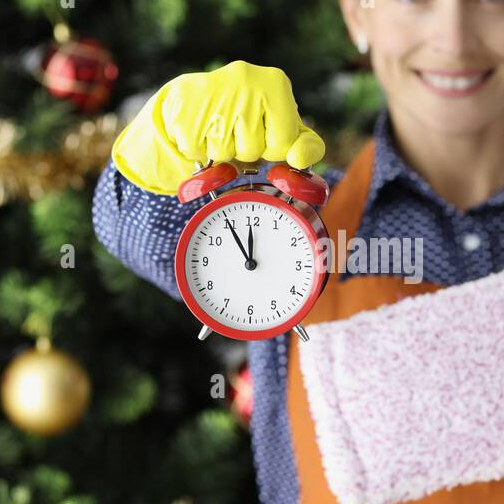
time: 11:54
